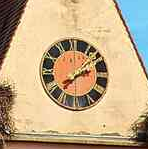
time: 2:07
